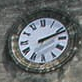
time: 2:11
